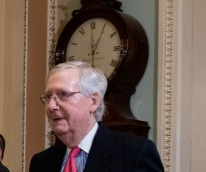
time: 12:05
